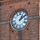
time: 1:09
